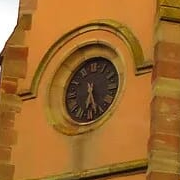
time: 6:25
